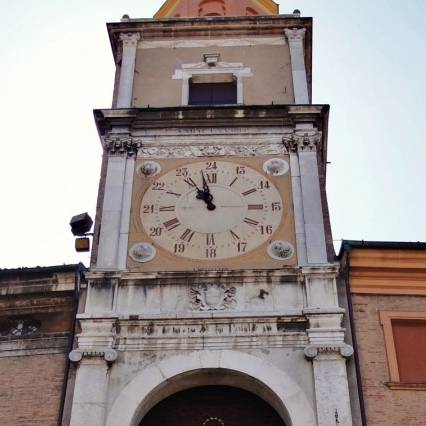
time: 10:58
